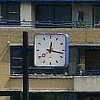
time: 12:16
